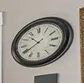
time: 10:39
